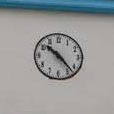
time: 10:23
